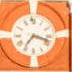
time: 7:17
